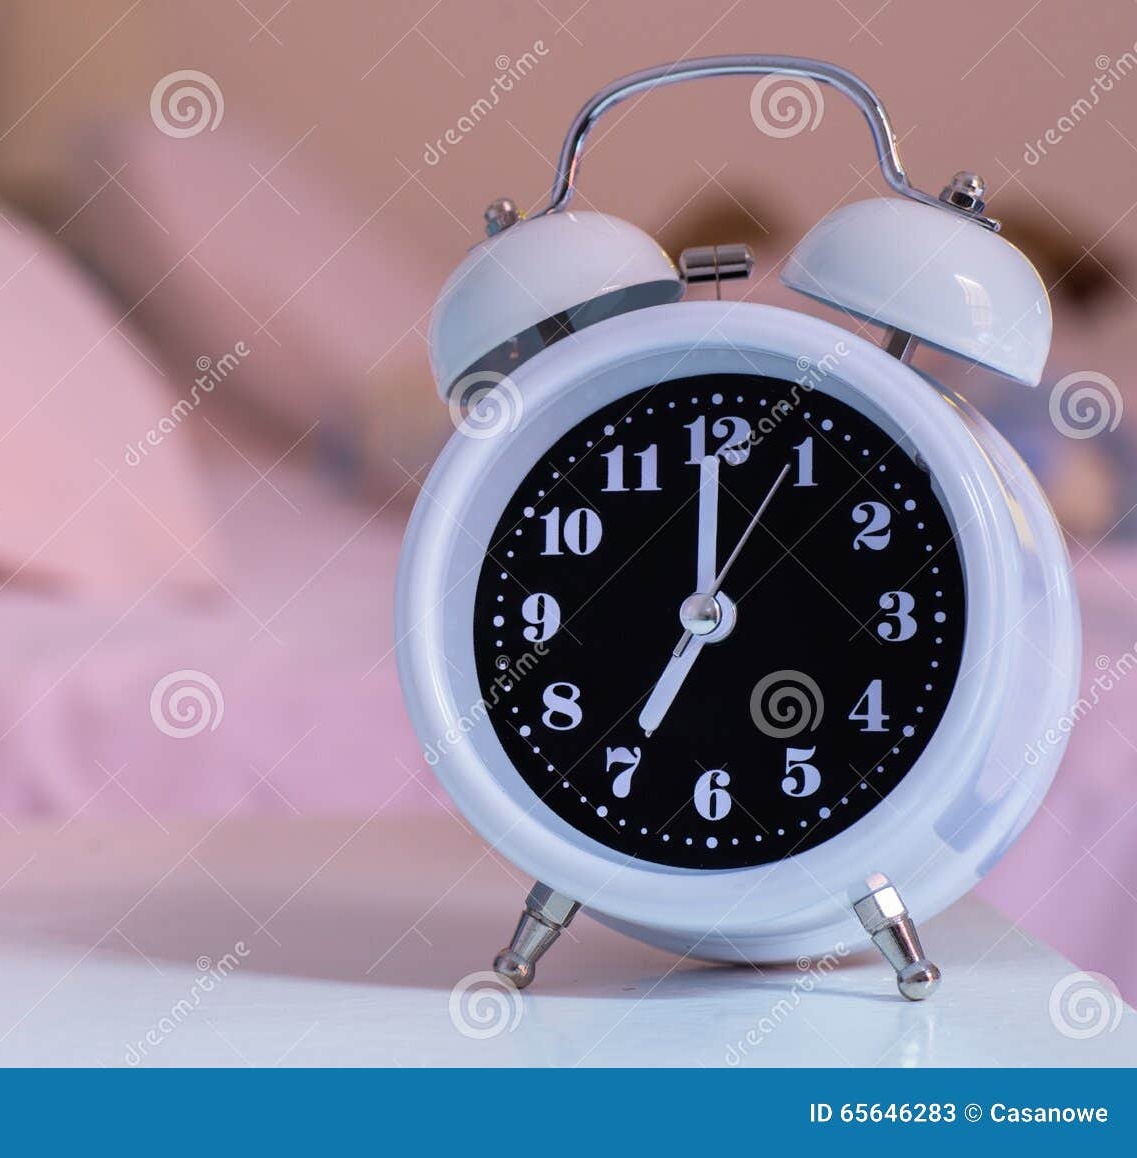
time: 7:00
